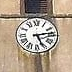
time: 5:13
